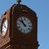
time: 10:52
